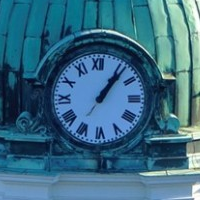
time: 1:06
